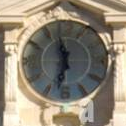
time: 11:32
